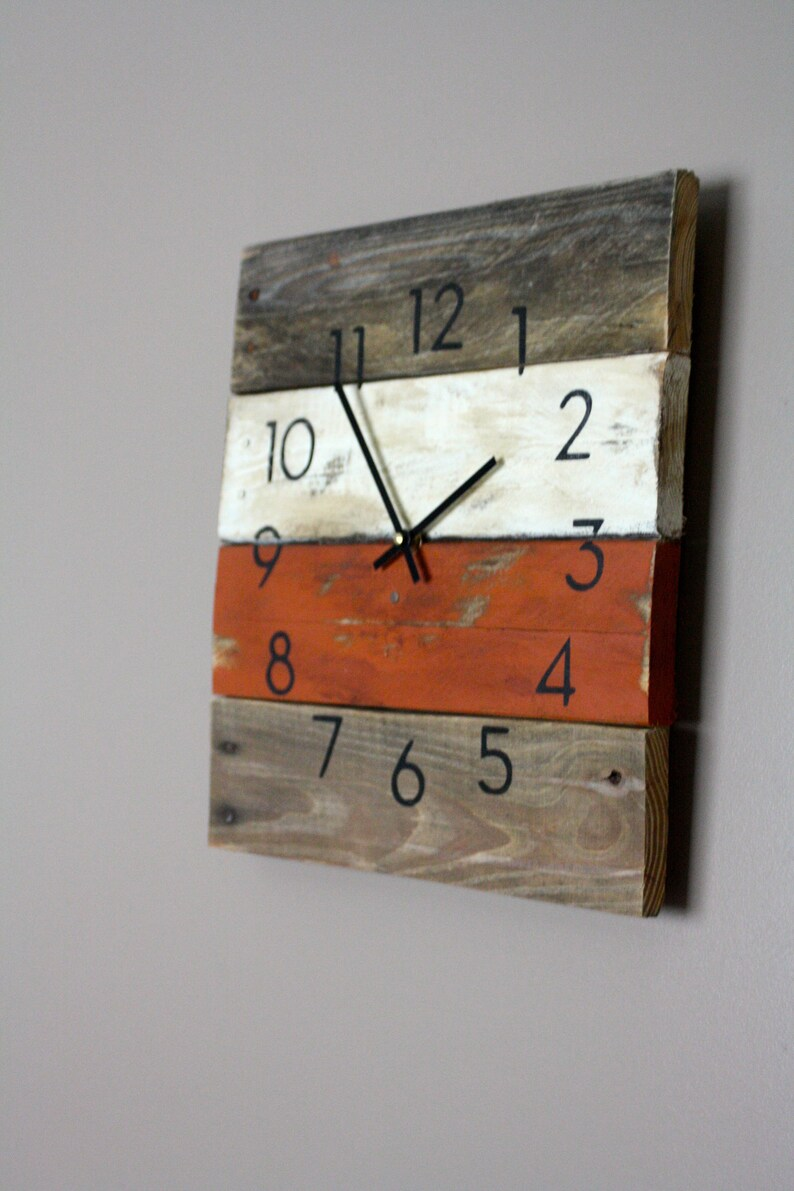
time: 1:54
